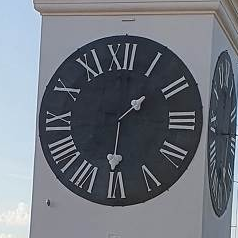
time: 1:31
